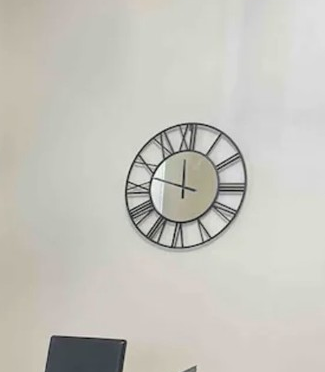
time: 11:47
